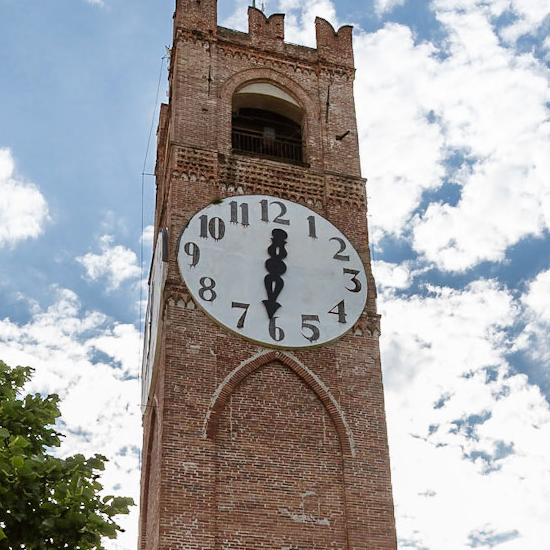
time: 12:30
